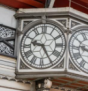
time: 9:25
